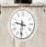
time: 9:31
